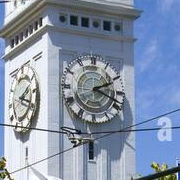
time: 2:18
